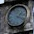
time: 1:18
